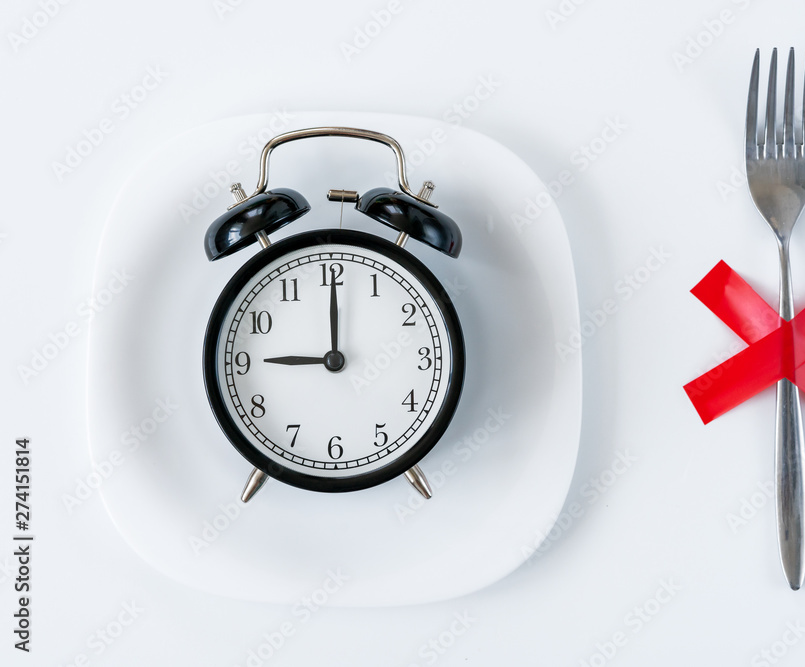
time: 9:00
